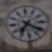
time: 7:20
